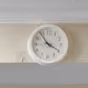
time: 3:54
